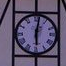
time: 6:01
